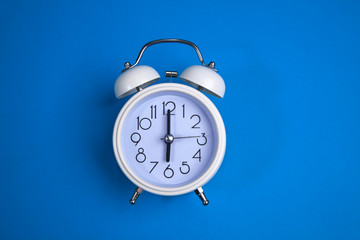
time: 6:00
